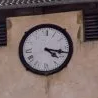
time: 4:17
